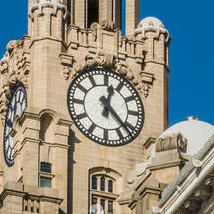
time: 12:22
